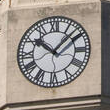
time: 10:07
